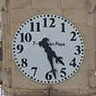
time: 4:27
